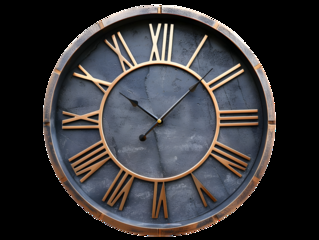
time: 10:07
